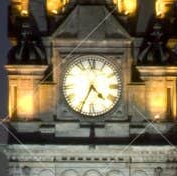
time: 4:34
